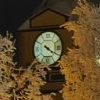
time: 4:20
